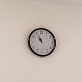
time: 10:56
